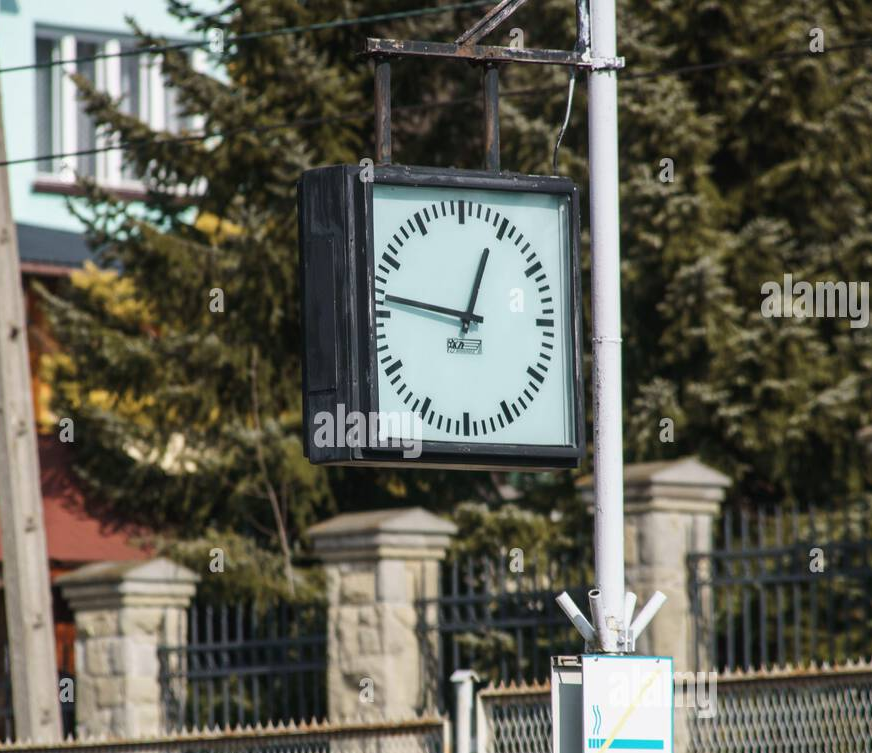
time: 12:46
